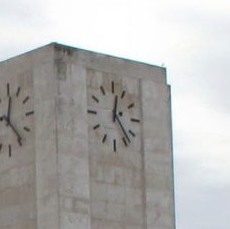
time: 12:23
